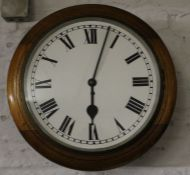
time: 6:03
